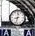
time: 8:32
